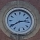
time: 2:39
